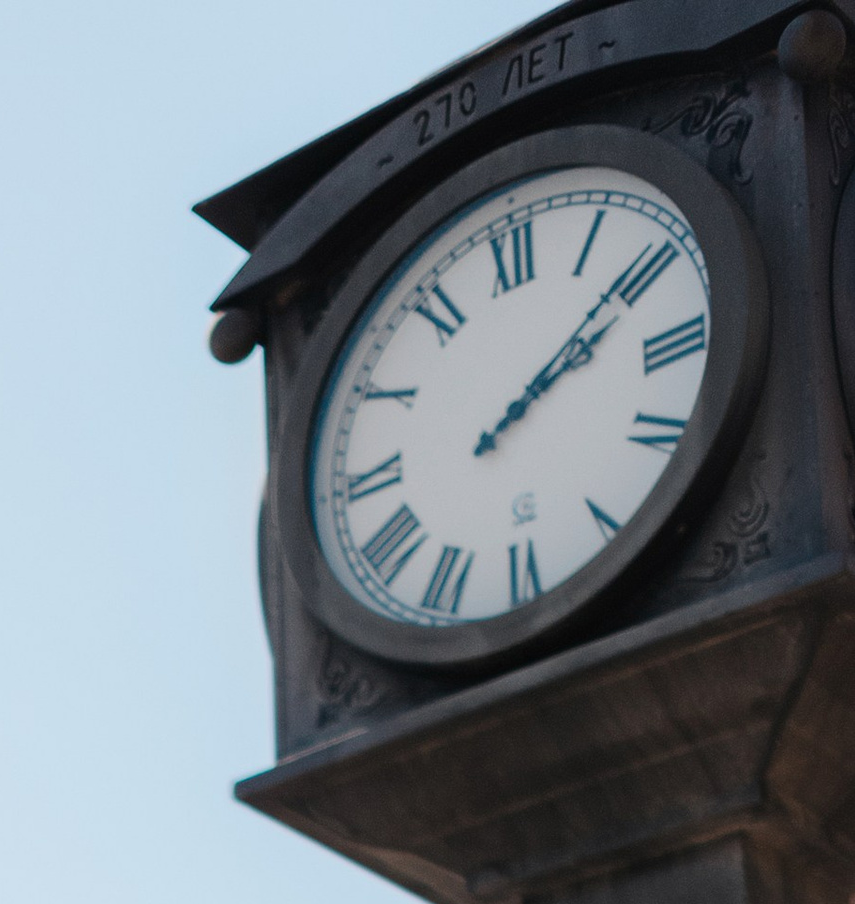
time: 2:09
